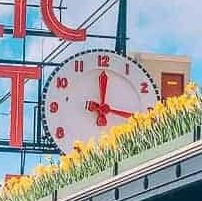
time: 12:16
